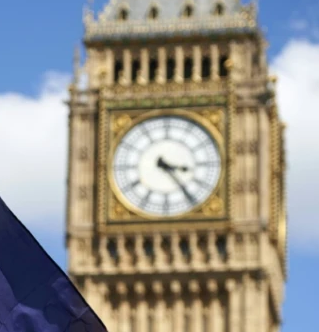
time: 3:23
